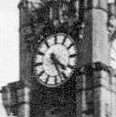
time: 4:26
